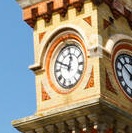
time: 12:49
